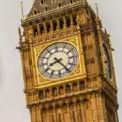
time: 8:24
